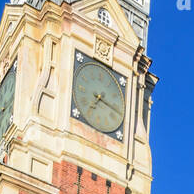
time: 7:17
